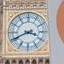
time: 3:40
